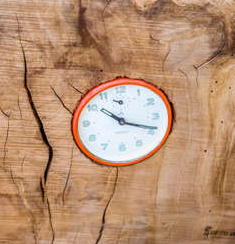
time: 10:18
